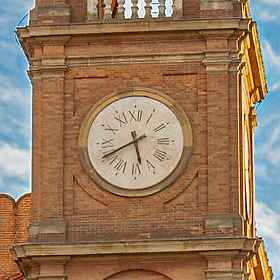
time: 5:40
